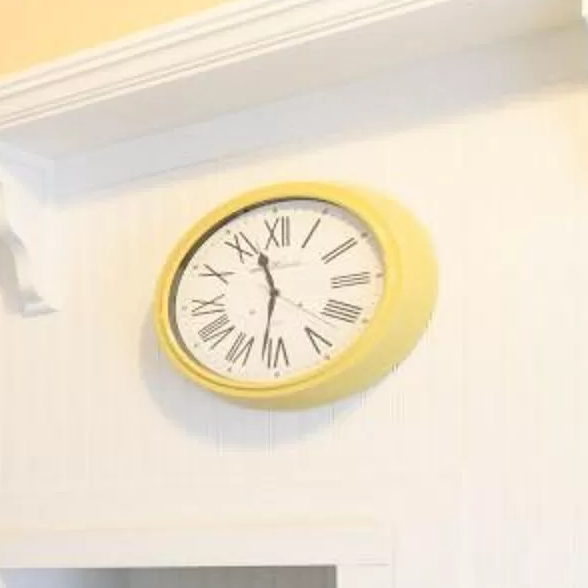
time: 11:31
